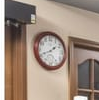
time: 1:41
